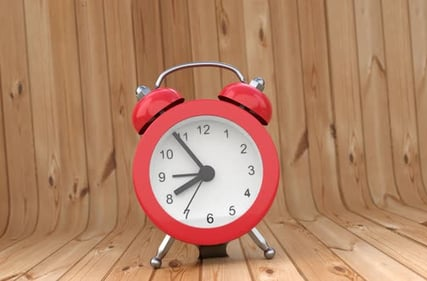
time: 7:54
